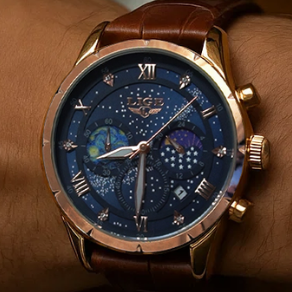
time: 8:30
